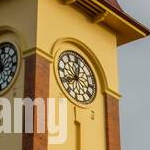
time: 8:01
